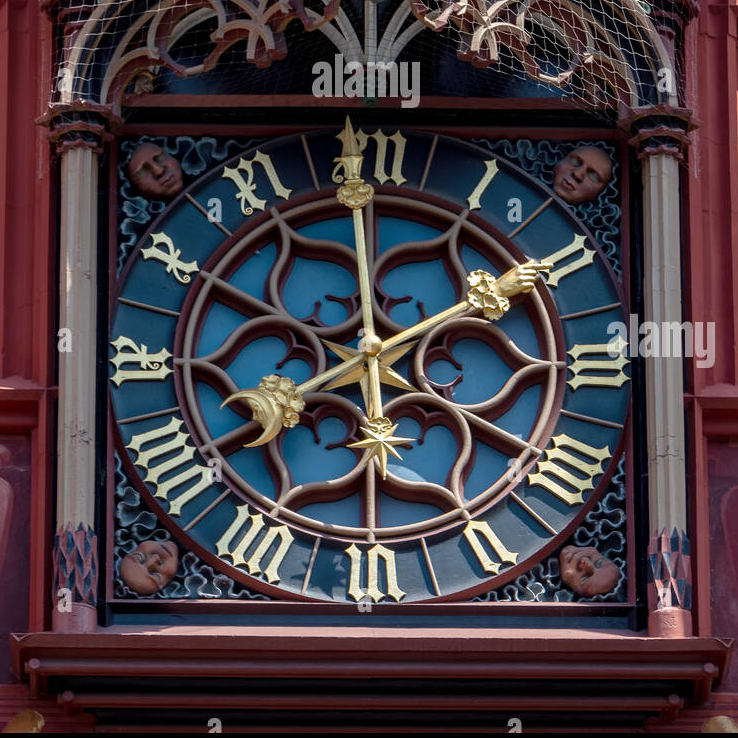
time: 8:09
